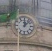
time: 12:07
